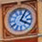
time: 4:04
